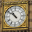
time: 10:51
